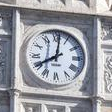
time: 8:01
